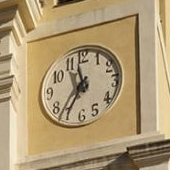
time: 11:35
